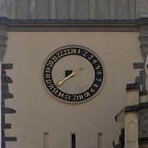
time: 8:38
